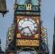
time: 8:24
